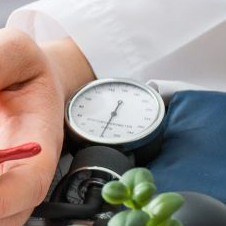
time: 12:32
